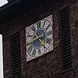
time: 4:42
